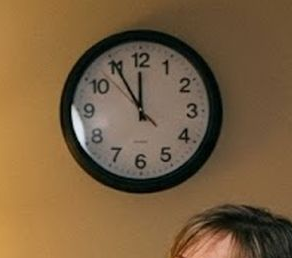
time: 11:54
